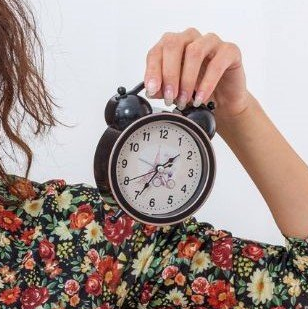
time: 1:34
